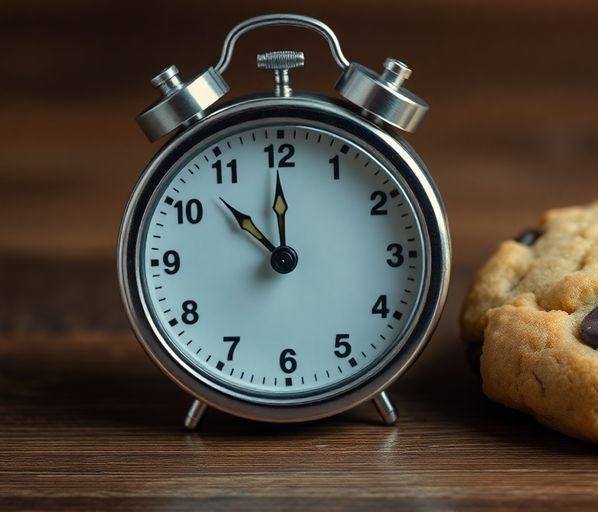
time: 11:52
